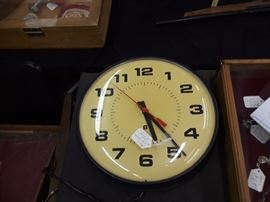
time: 5:23
